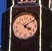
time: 4:08
